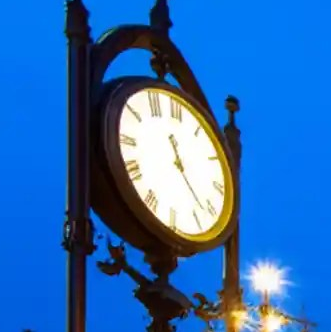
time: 11:22
